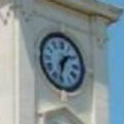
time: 1:32
